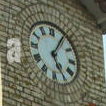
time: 5:05
